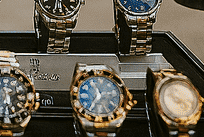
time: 11:36
